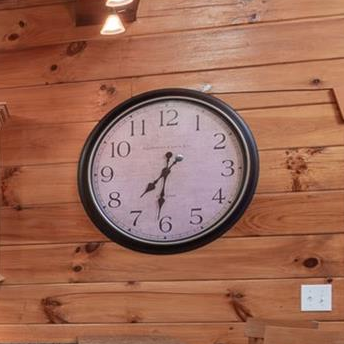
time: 7:31
